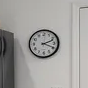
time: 2:19
